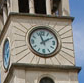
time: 1:56
